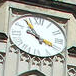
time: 3:54
